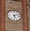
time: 5:12
